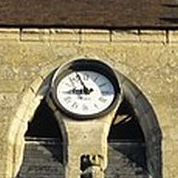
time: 8:56
